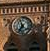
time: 6:56
